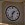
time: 1:32
